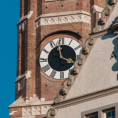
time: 3:58
